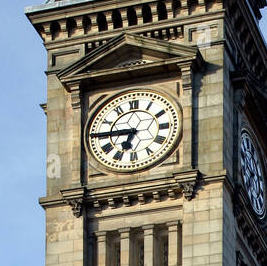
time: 6:45
